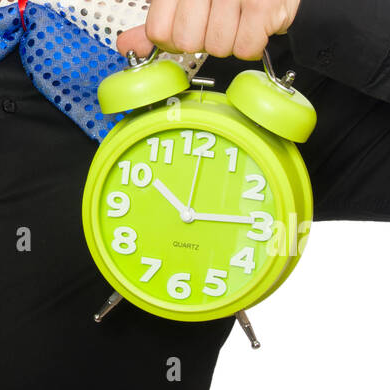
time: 10:14
